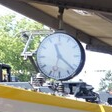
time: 11:21
